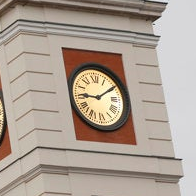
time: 9:09
